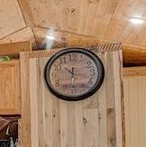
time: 10:31
